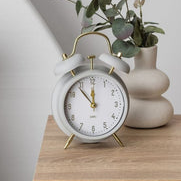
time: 11:53
